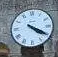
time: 4:20
